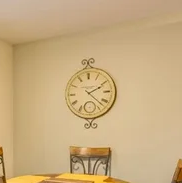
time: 2:22
